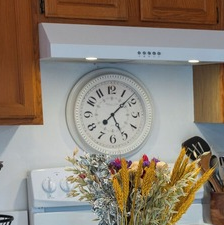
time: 5:07
